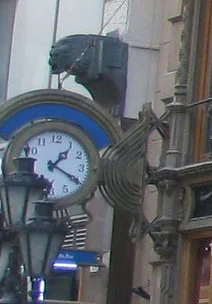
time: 1:19
